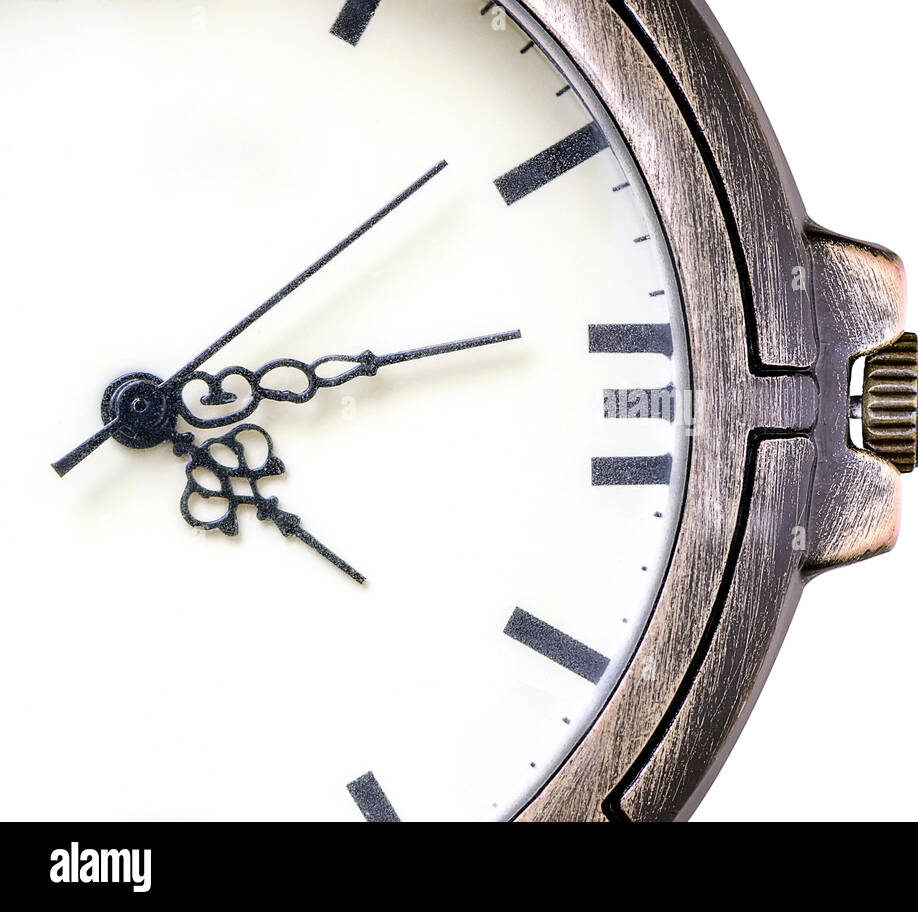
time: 4:13
